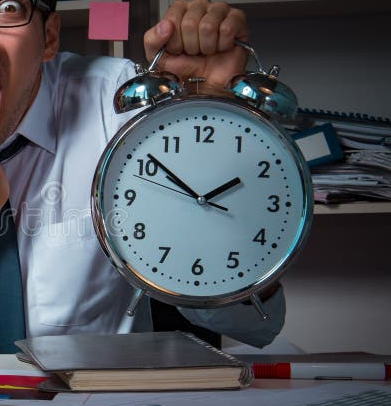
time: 1:51
